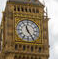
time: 11:24
